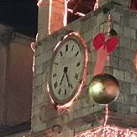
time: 7:25
